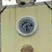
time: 6:13
